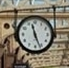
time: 11:26
